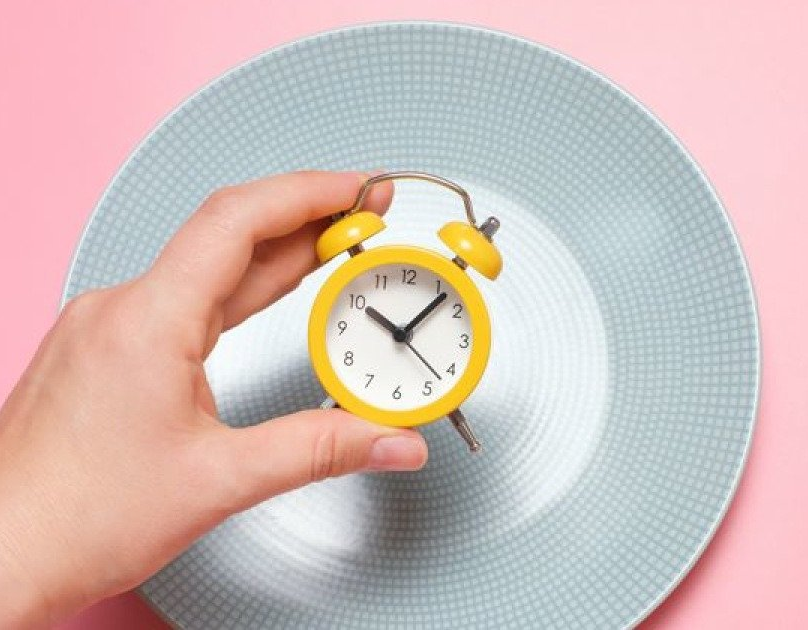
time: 10:07
